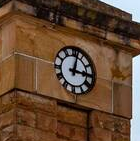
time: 3:02
